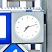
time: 7:12
